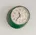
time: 11:36
